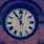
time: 11:01
